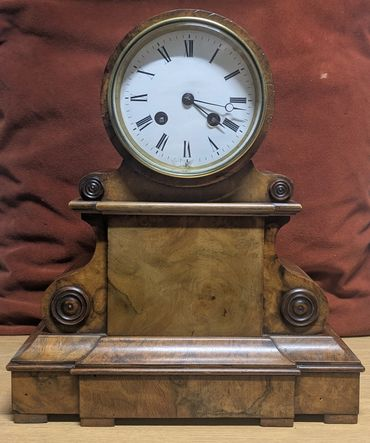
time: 4:20
